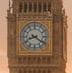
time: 8:20
